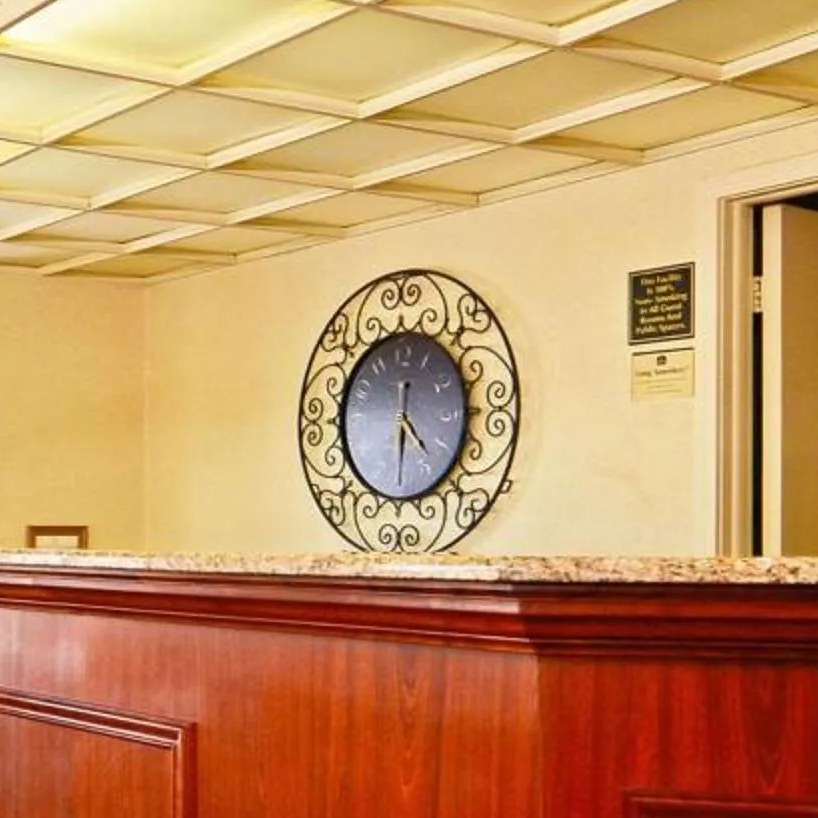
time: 4:31
